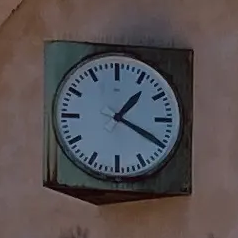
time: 1:19
